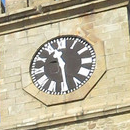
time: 11:29
